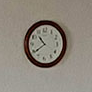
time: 10:38
